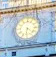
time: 6:21
